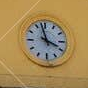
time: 3:57
